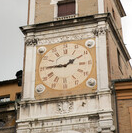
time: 1:45
